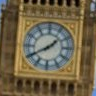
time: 1:40
